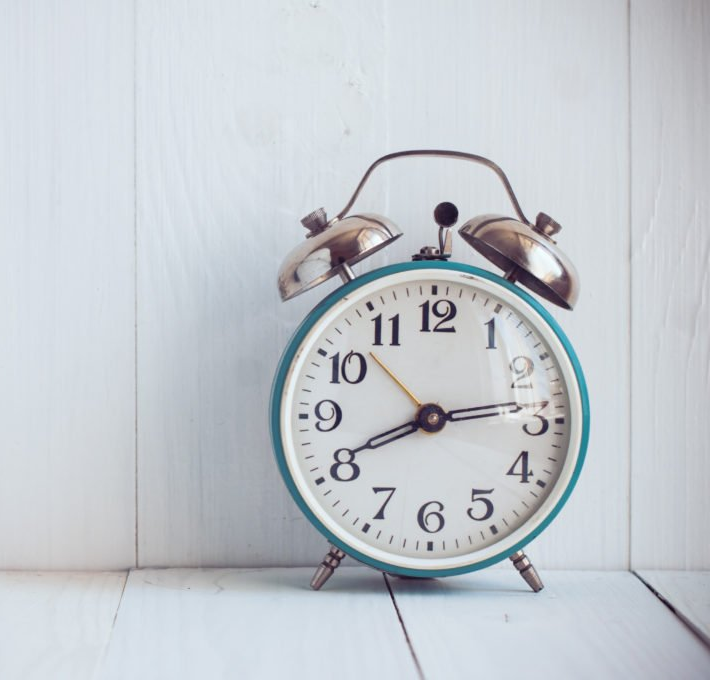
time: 8:13
